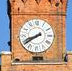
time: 8:40
